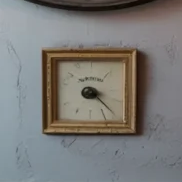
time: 3:22
